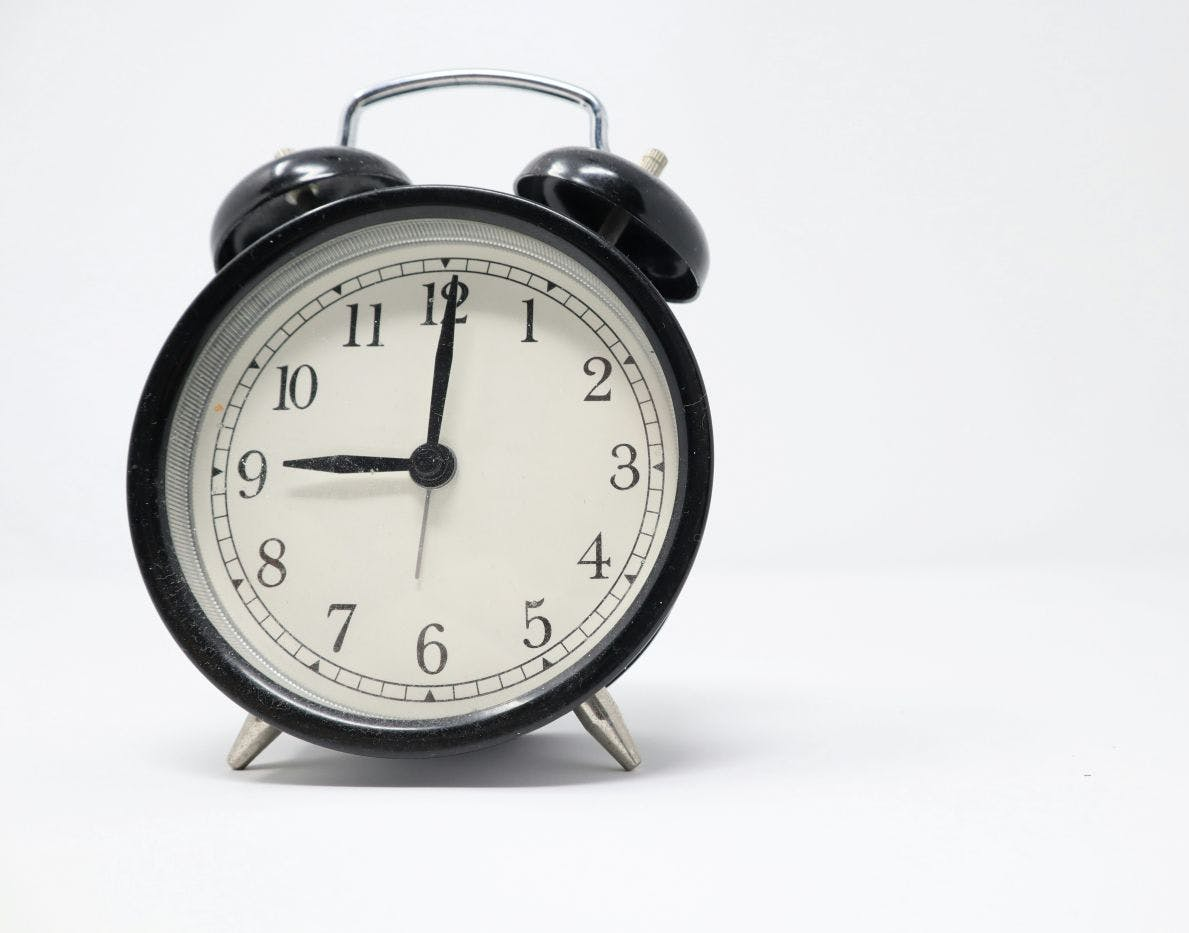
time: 9:00
